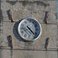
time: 4:22
